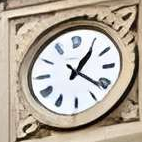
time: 1:21
